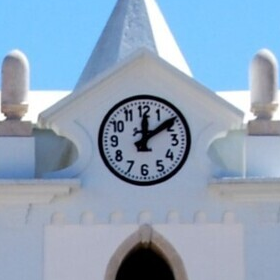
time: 12:09
